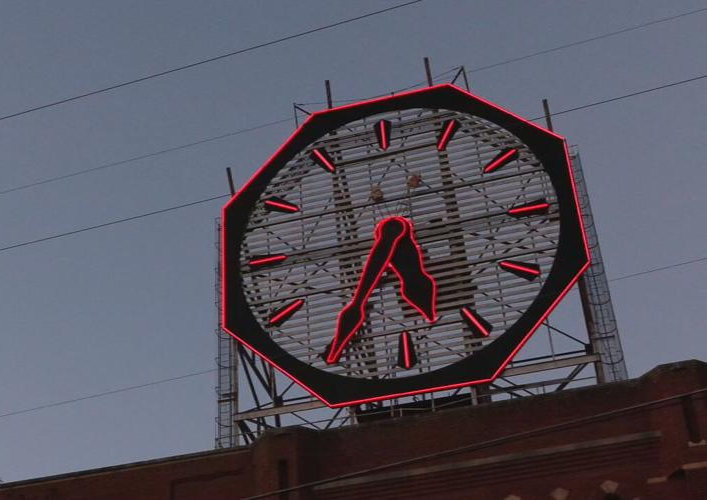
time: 5:34
